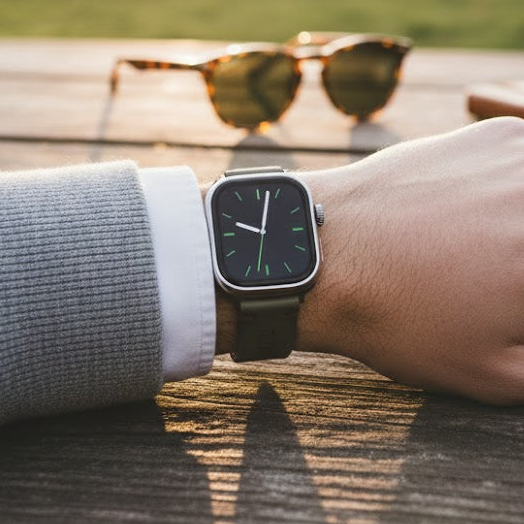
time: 10:02
